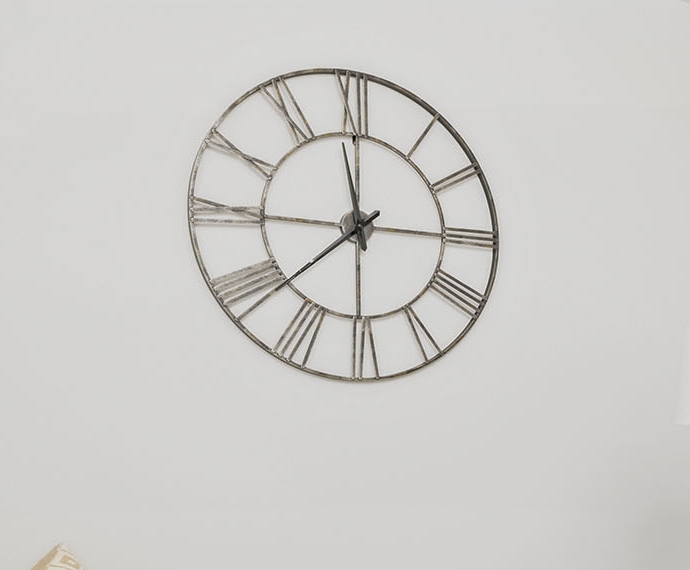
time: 11:38
